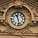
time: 11:28
